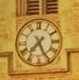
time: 7:25
